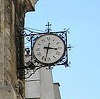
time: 3:32
